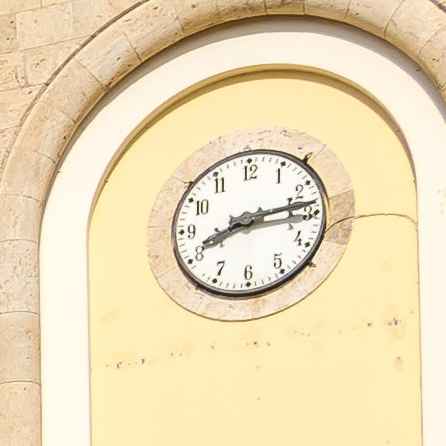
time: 8:13
